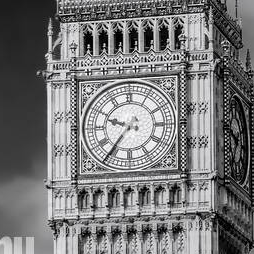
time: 9:36
